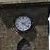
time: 2:21
